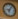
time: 6:06
